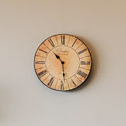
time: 10:28
